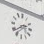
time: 2:38
